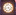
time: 4:42
